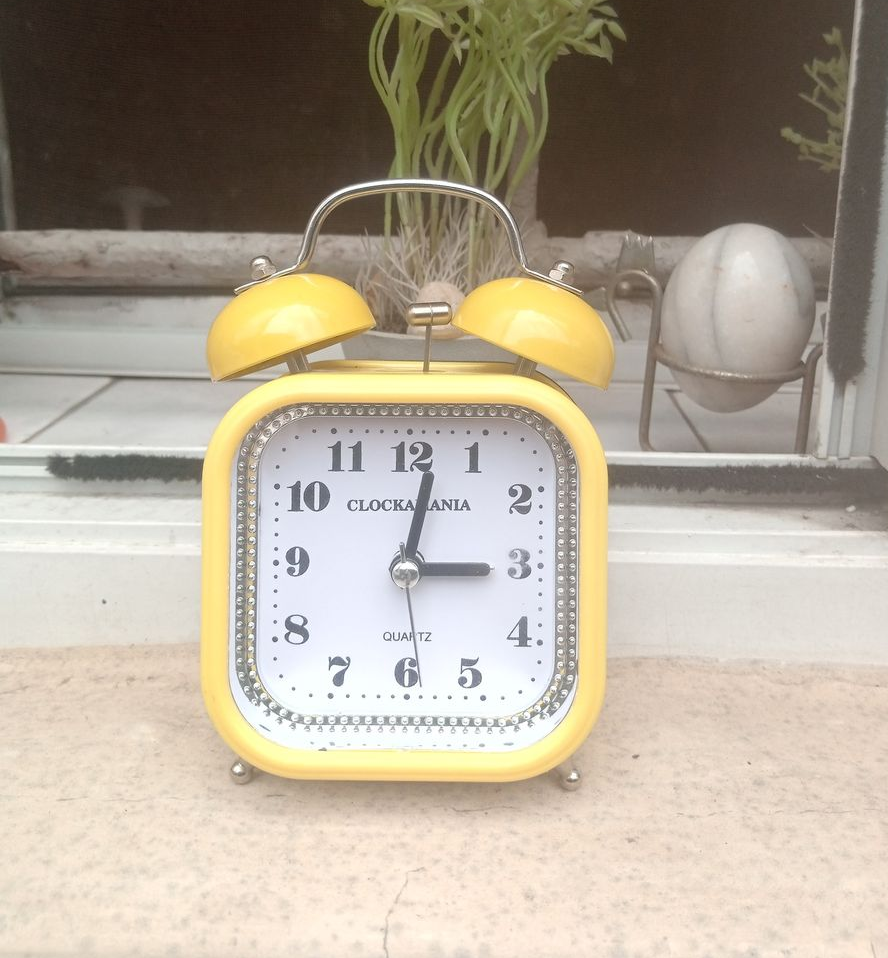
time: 3:01
